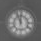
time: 11:56
